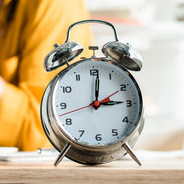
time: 3:01
